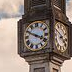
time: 3:49
